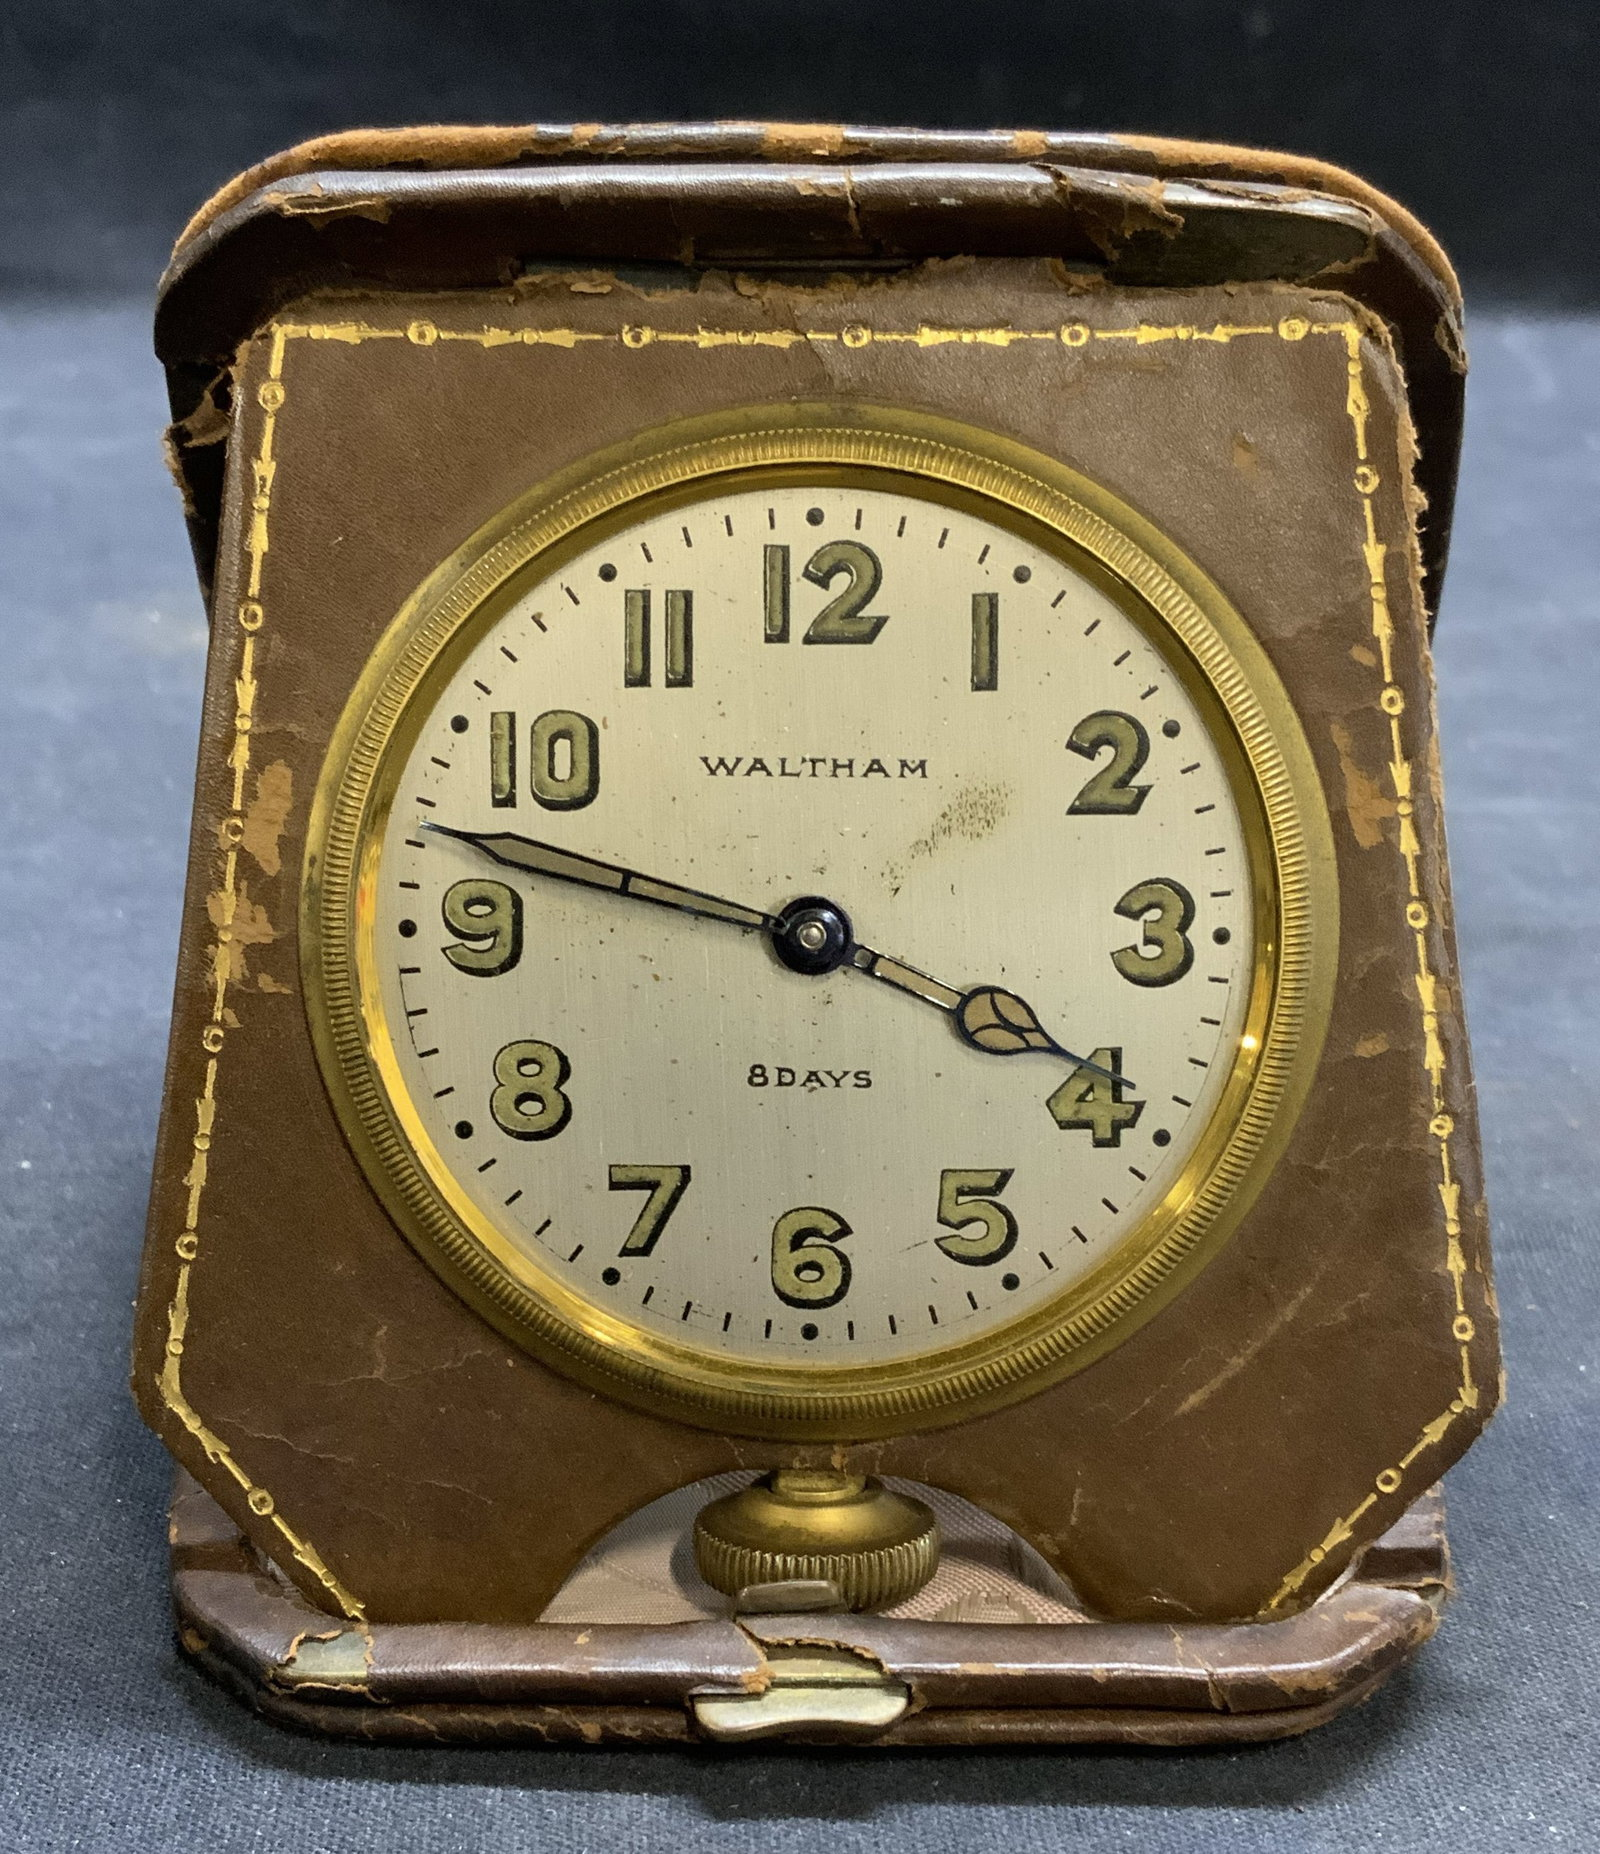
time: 3:47
